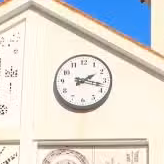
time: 2:17
